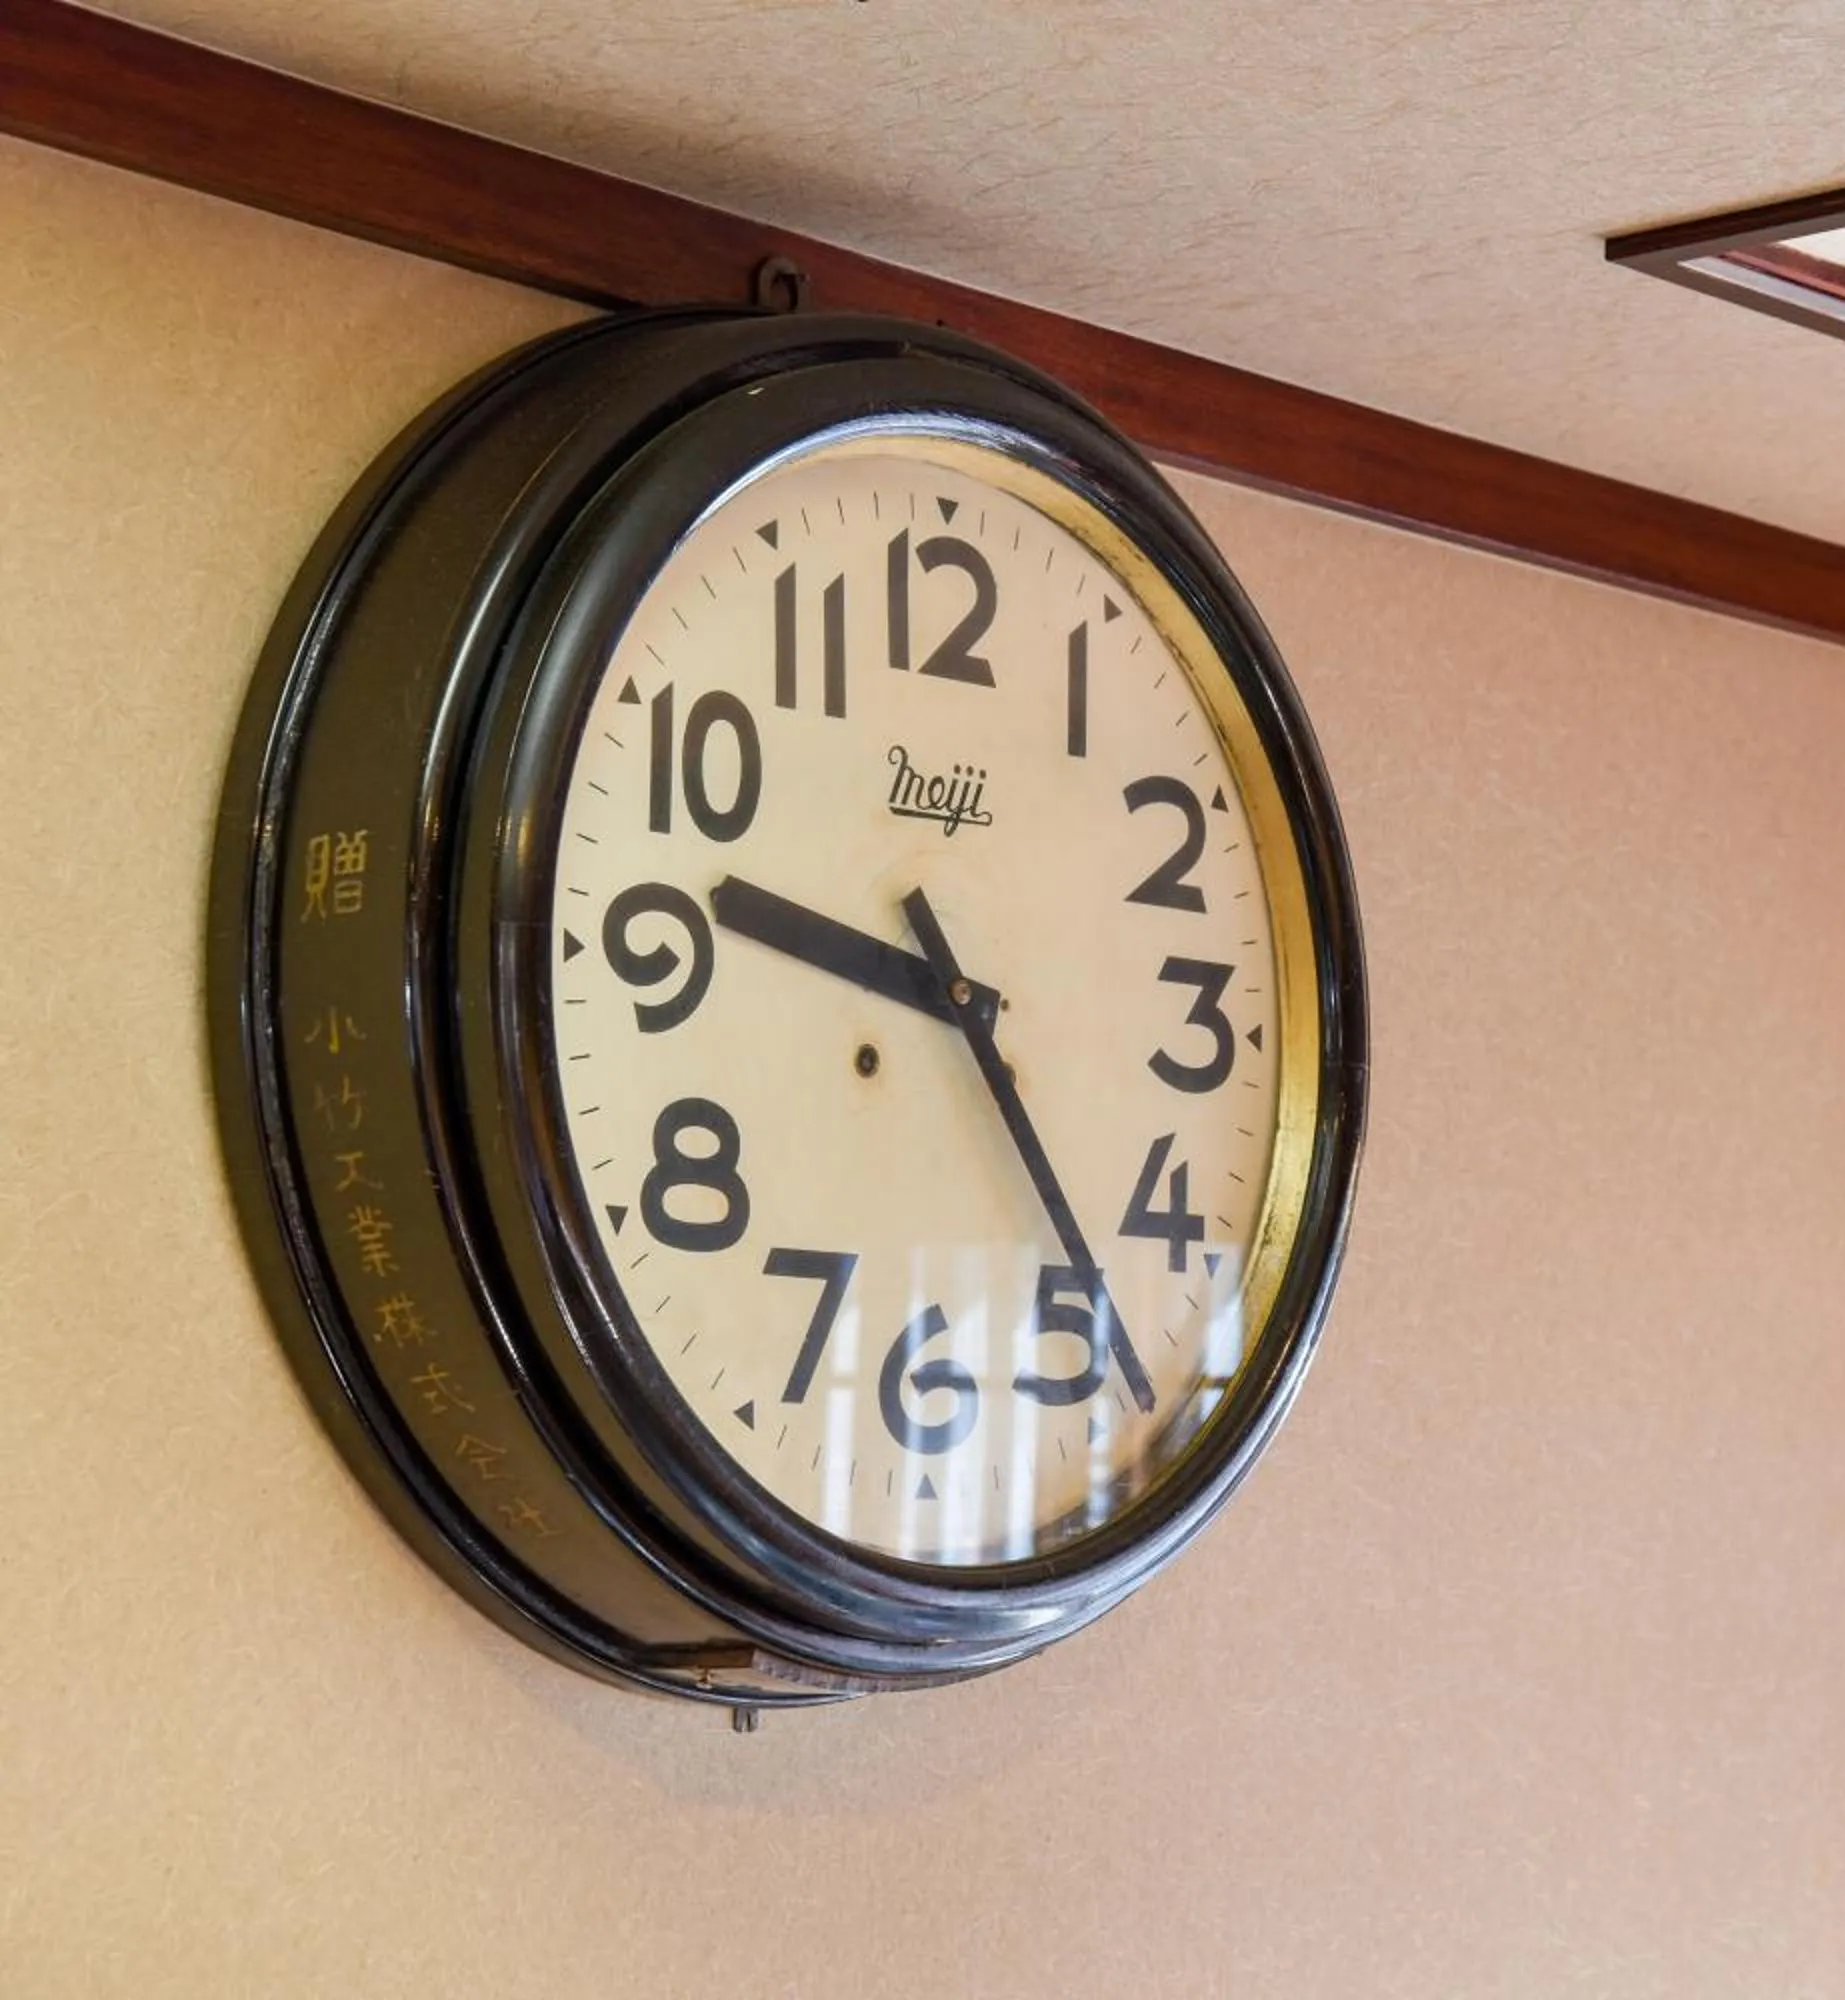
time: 9:23
